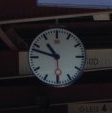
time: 10:48
